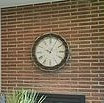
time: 10:04
